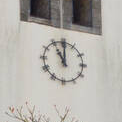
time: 11:00
